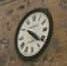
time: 4:21
